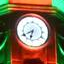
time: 6:40
